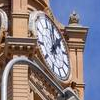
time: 12:07
